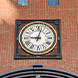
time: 9:02
